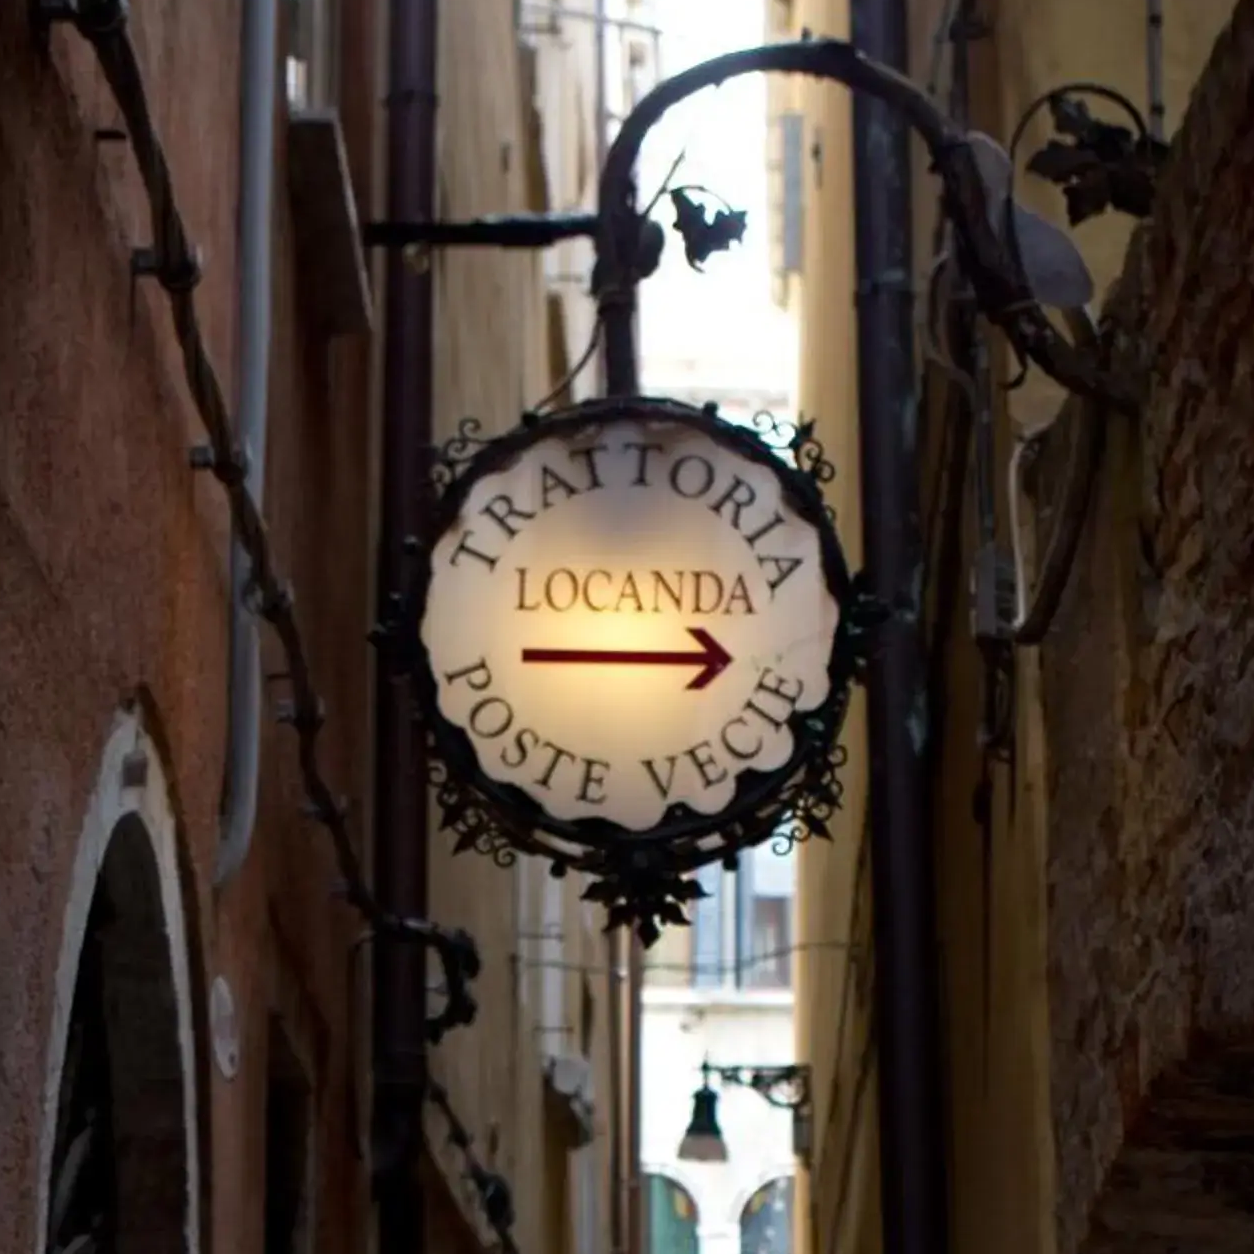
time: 2:45
